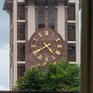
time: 4:40
